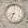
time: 8:34
